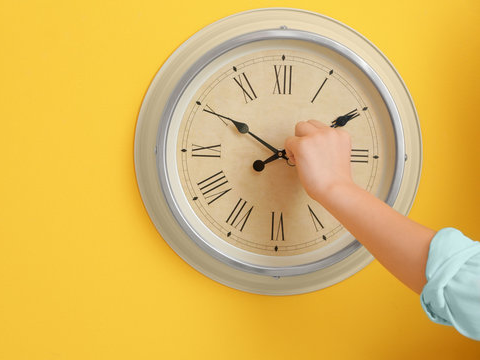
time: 7:50
